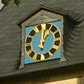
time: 1:01
